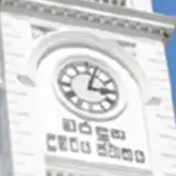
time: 3:03
